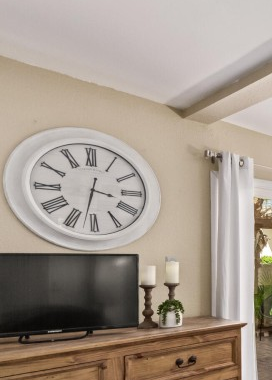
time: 3:32
